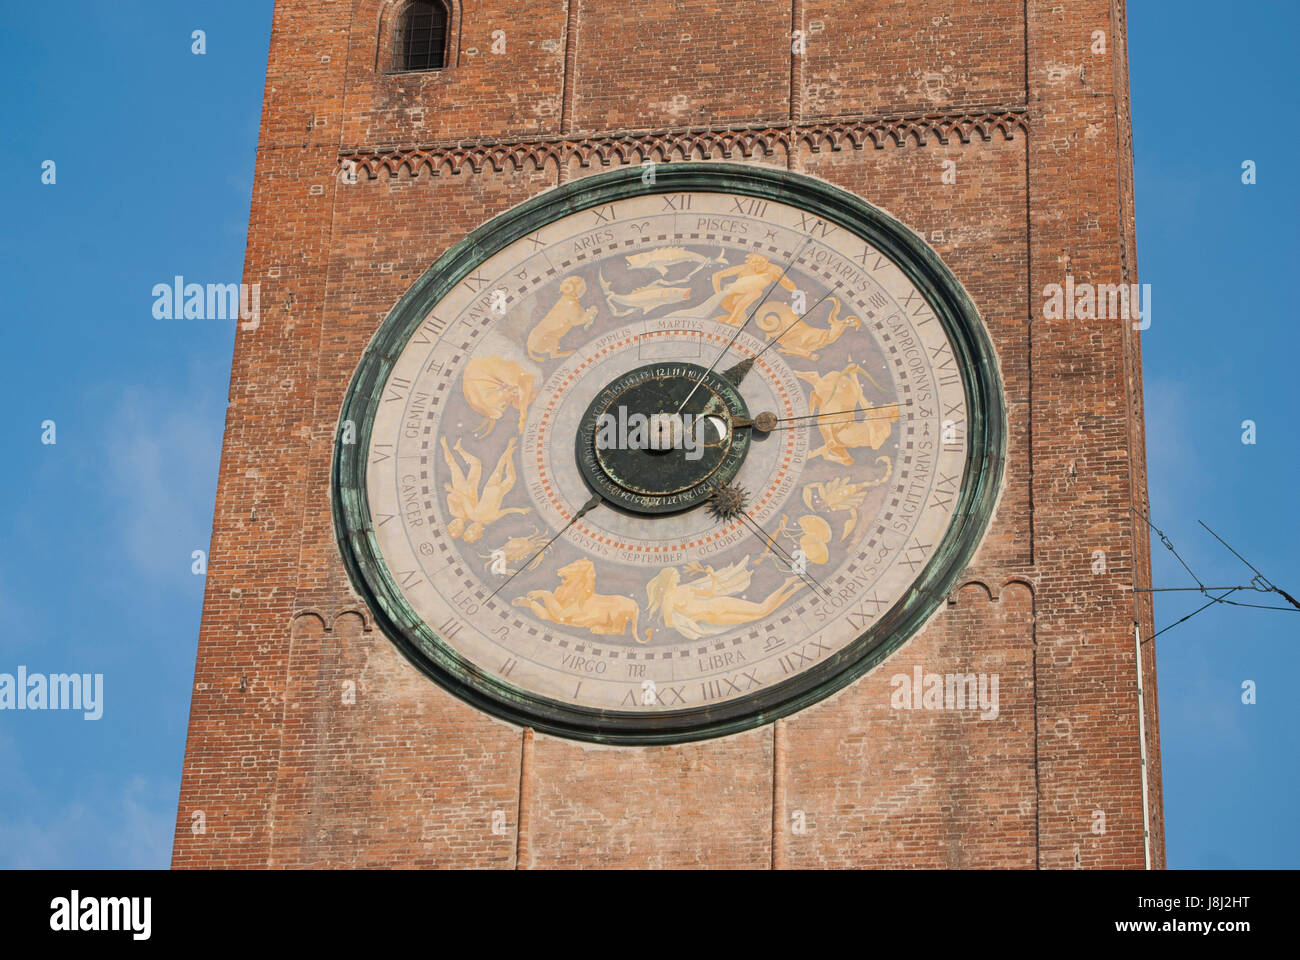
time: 3:07
